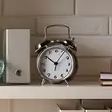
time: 10:06
